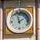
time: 1:57
